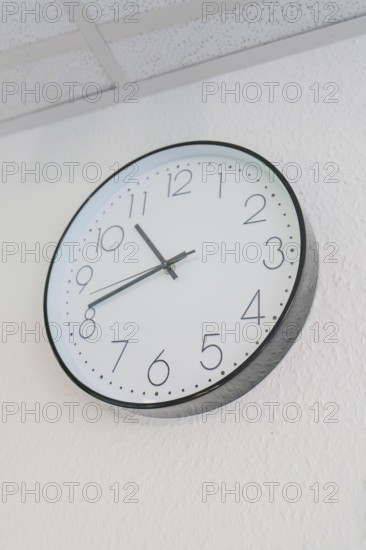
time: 10:41
